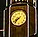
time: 7:37
